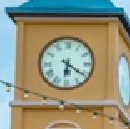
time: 6:20
